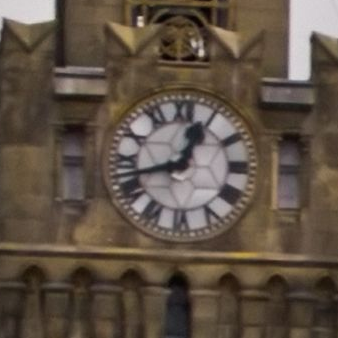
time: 12:42
